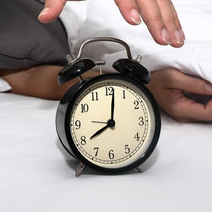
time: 8:01
